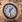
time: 1:28
